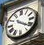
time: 4:20
